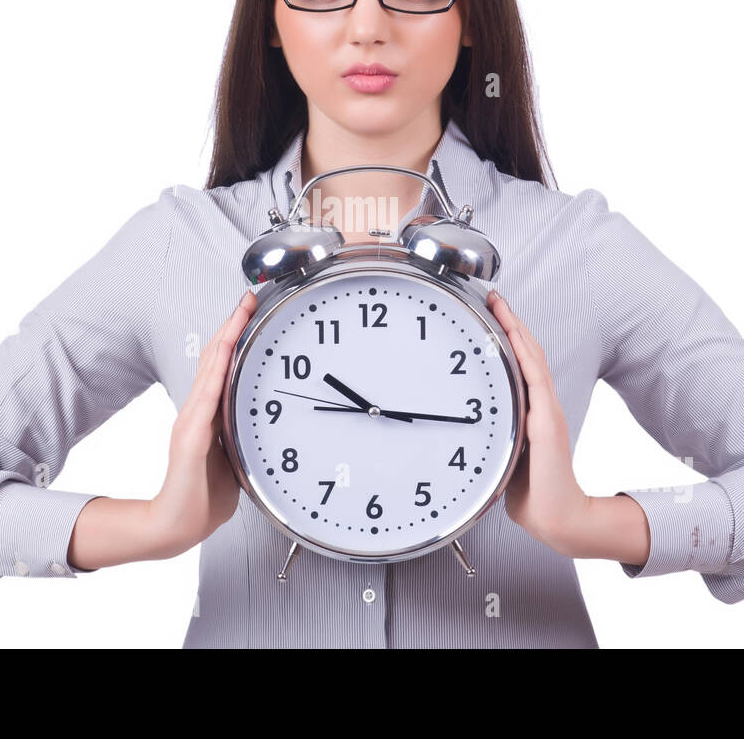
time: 10:15
